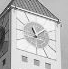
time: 11:07
